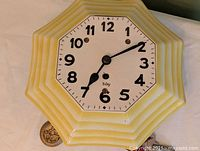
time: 7:09
